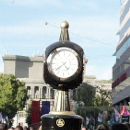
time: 4:38
